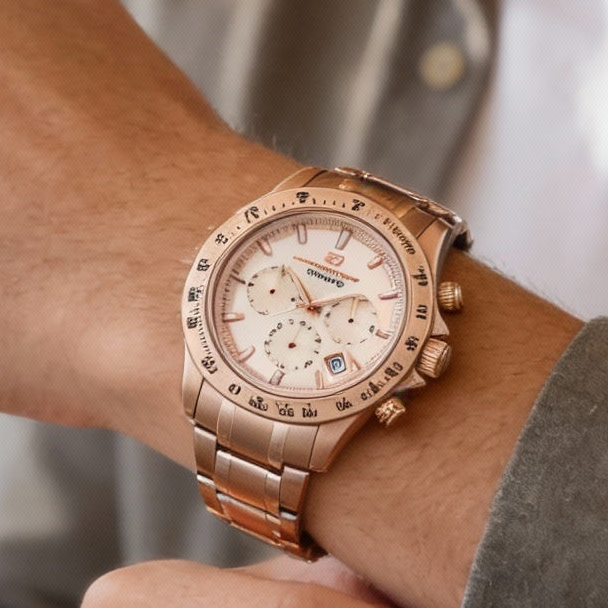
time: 2:56
